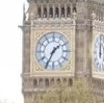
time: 1:34
